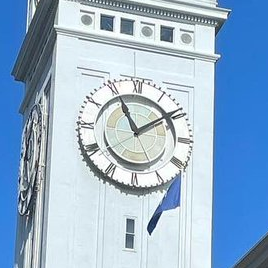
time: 11:09
